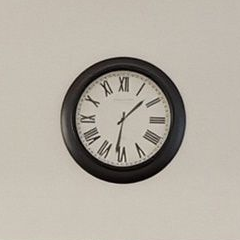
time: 1:31
